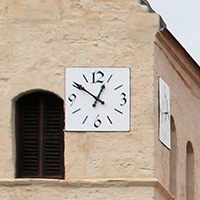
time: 12:50
